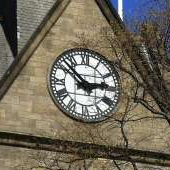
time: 2:52
